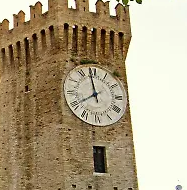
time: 7:58
